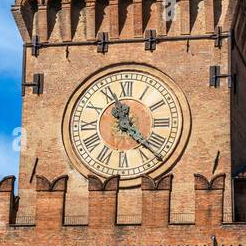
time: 11:22
